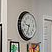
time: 9:33
